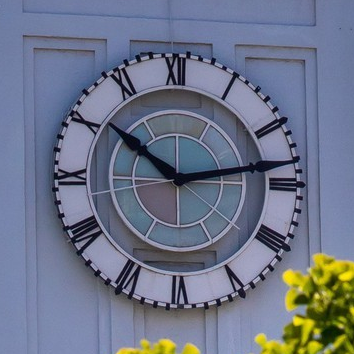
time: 10:13
